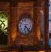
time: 6:23
